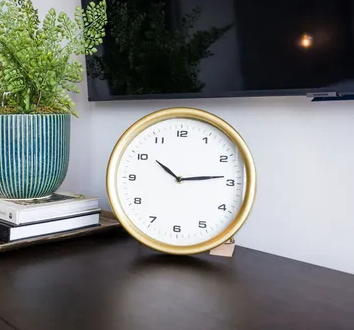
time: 10:13
